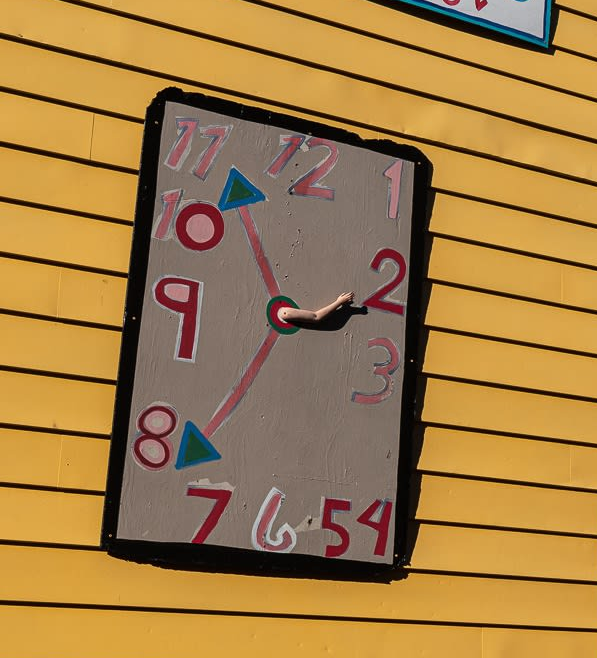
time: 2:37
